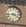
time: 3:43
